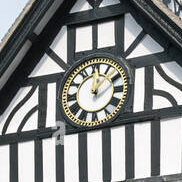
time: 12:07
